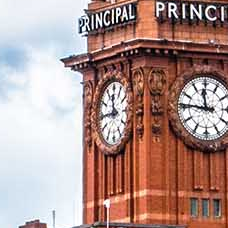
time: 11:44
